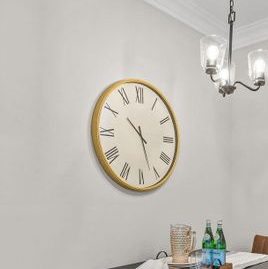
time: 10:26
